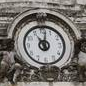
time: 11:02
